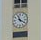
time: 11:19
